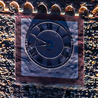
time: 8:50
